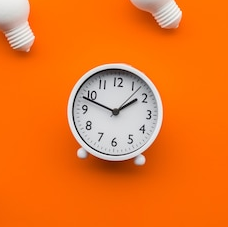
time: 1:48
